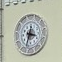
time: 3:32
